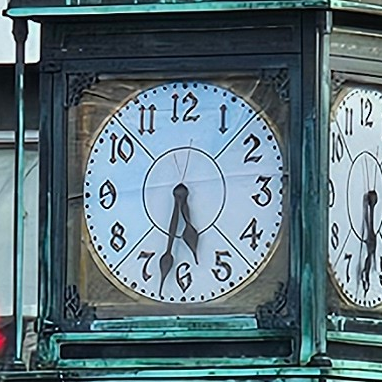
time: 5:32
